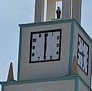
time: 5:59
